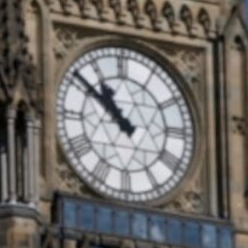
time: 10:51
